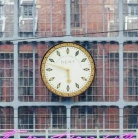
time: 5:47
